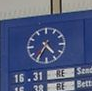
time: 4:35
